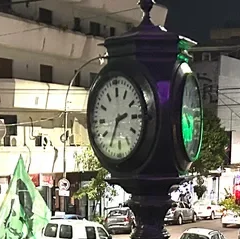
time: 2:34
